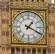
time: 1:19
